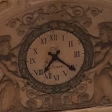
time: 7:21
